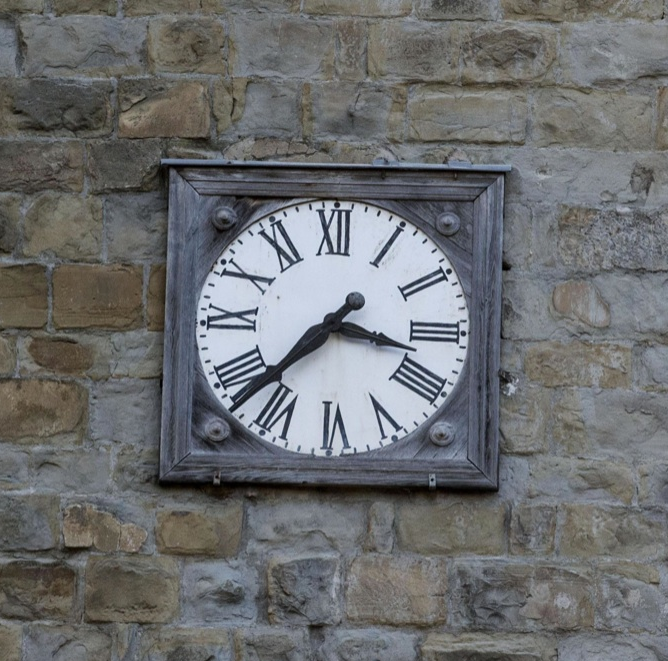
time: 3:37
